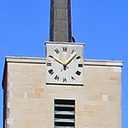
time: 10:07
